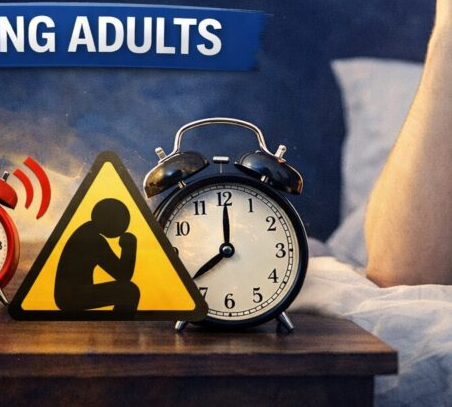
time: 8:00
